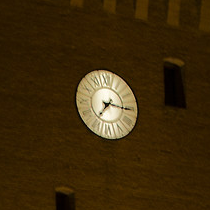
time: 7:15
